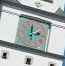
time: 1:59
